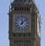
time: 12:07
